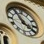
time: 3:54
